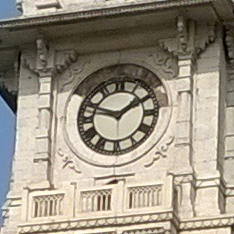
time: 1:47
